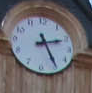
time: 2:24
